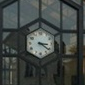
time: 3:21
